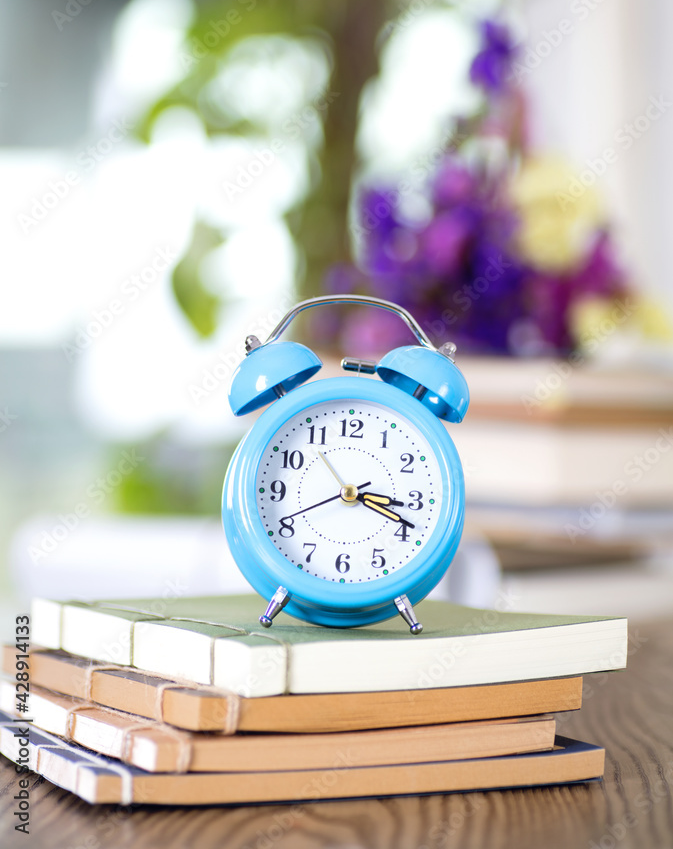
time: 3:18
